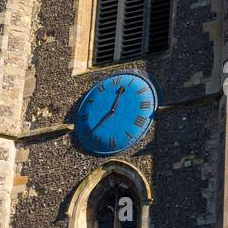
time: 12:38
